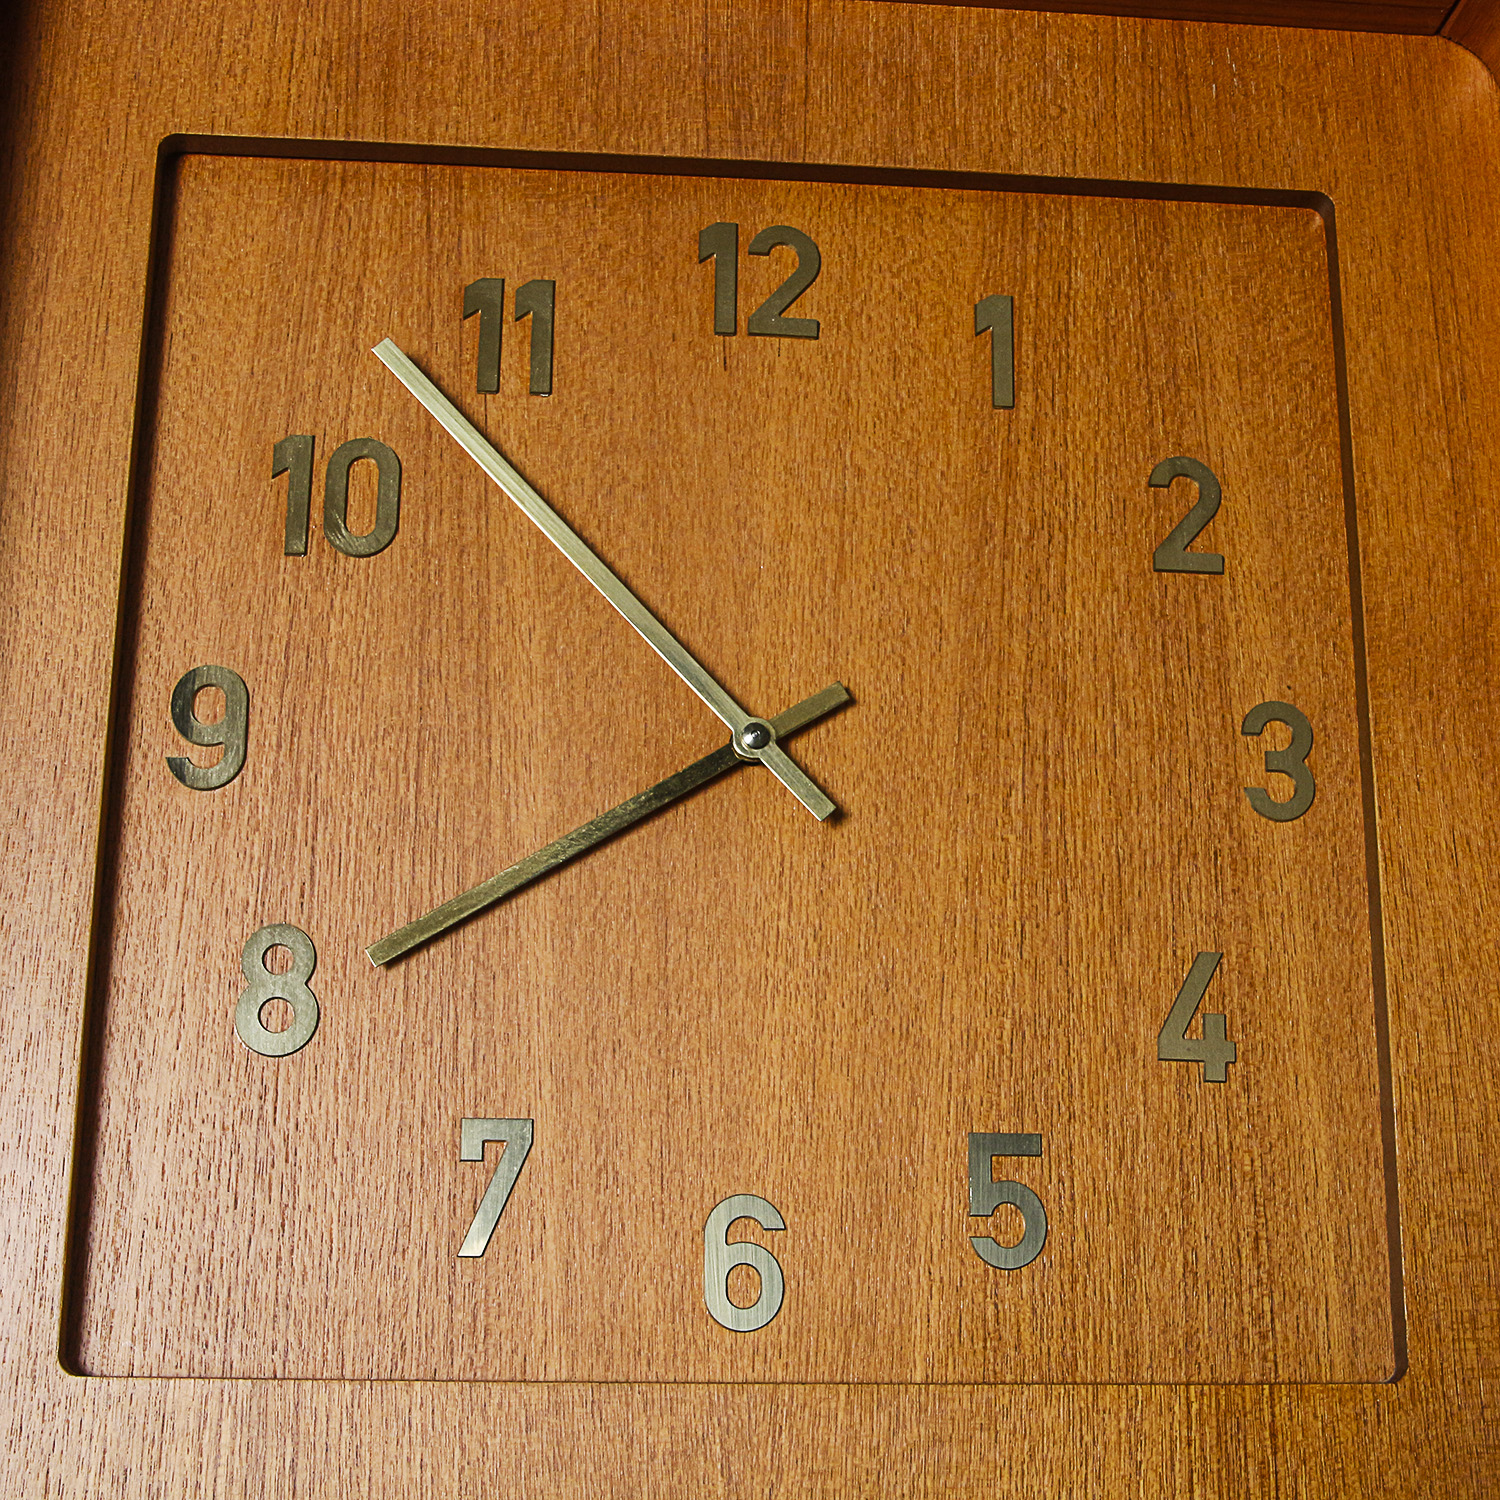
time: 7:52
